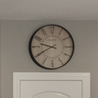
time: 9:40
